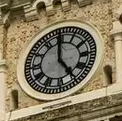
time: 4:59
